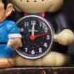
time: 12:12
